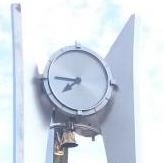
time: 7:45
